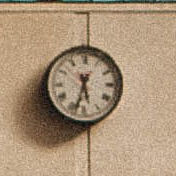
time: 5:33
